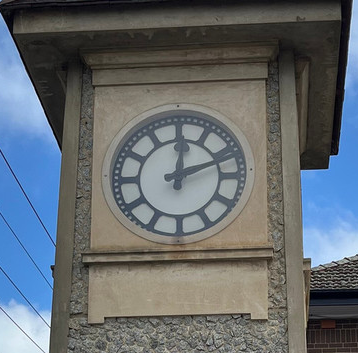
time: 12:11
